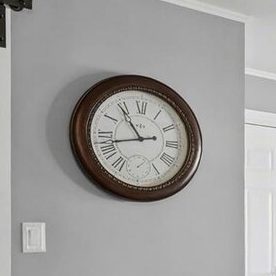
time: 10:42
